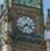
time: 3:37
